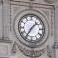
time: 1:35
